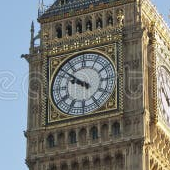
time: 9:51
